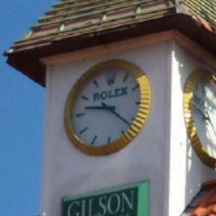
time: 9:22
